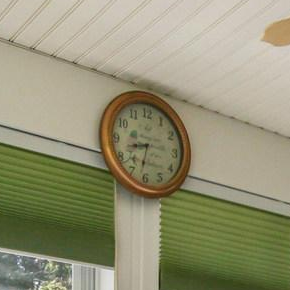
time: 8:32
